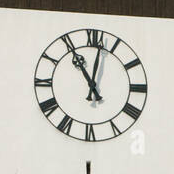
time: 11:01
